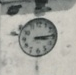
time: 3:14
